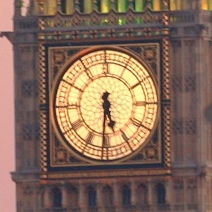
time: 5:31
